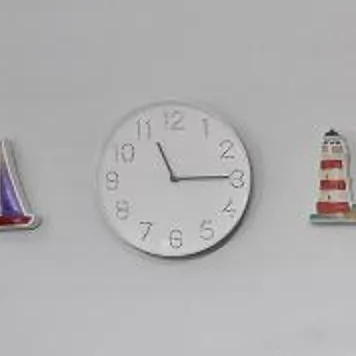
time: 11:14
